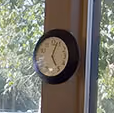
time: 5:03
